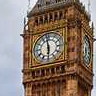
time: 5:58
